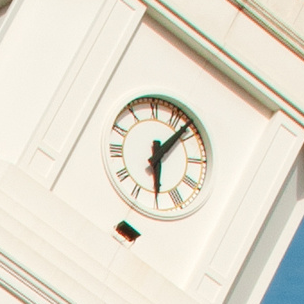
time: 6:07
